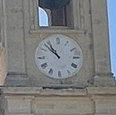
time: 10:52
